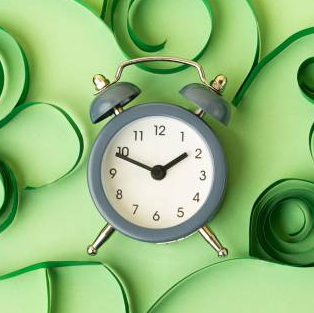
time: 1:48
